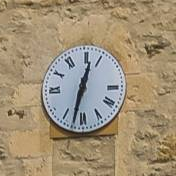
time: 12:32
